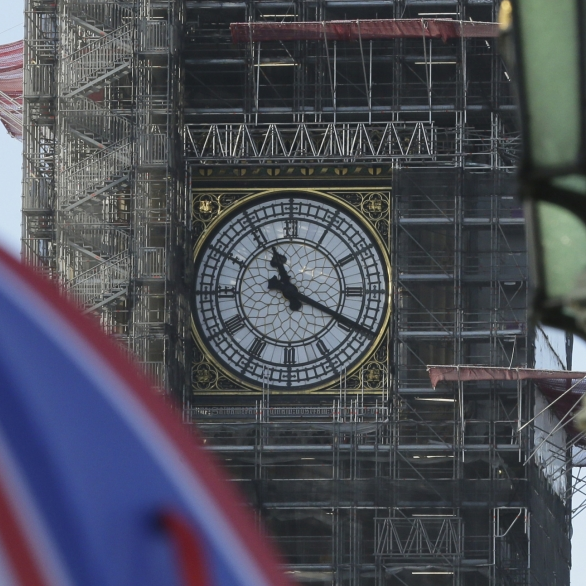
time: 11:19
